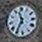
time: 11:35
